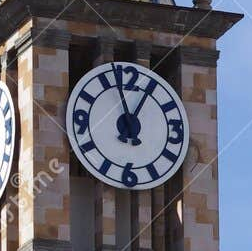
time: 12:57
